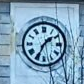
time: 1:34
